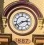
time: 2:40
